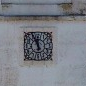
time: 11:57
